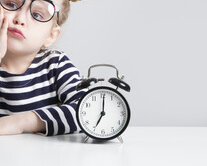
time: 7:00
